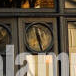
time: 11:28
